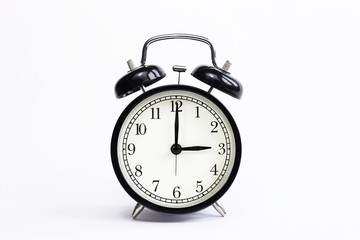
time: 3:00
